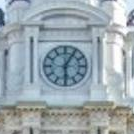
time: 6:04
